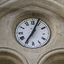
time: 7:04
